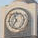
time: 6:56
